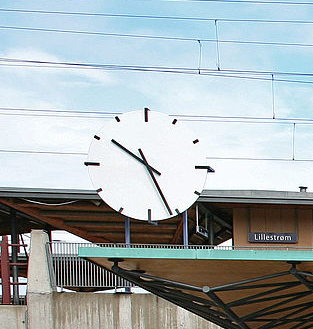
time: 10:26
